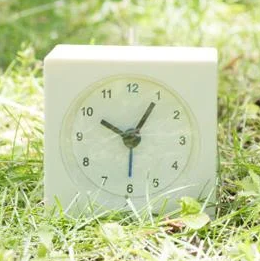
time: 10:05
